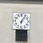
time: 6:06
